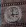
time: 2:58
